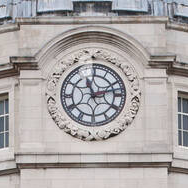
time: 11:12
